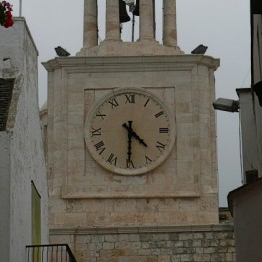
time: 4:30
